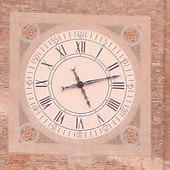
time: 5:12
